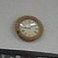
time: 9:10
